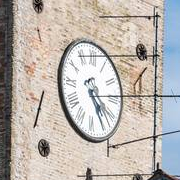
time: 4:24
